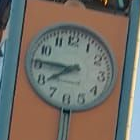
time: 7:45
